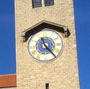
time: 11:23
